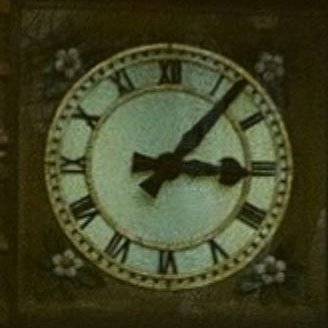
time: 3:06
